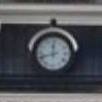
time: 11:41
